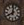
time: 8:01
